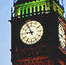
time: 8:56
